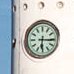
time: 6:15
